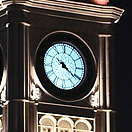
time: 10:20
